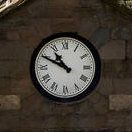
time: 10:49
